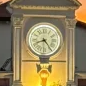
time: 8:23
